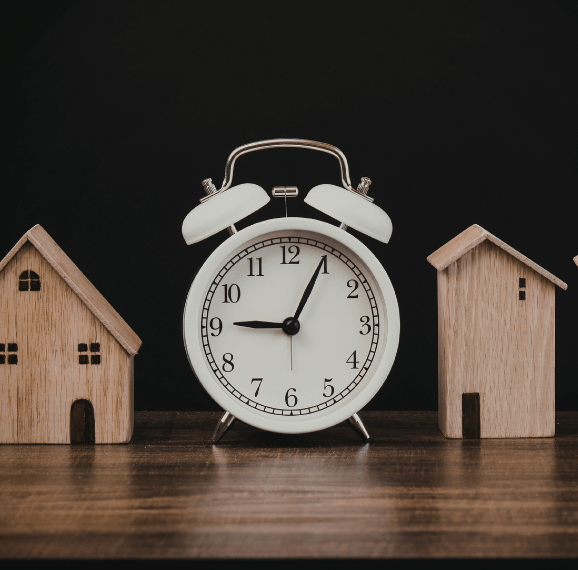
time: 9:04
